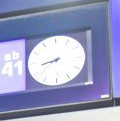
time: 8:38
